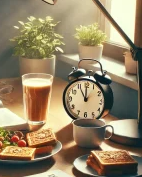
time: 11:00
